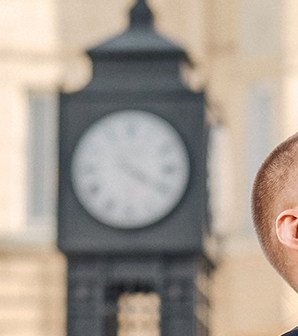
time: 4:19
